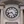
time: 8:23
